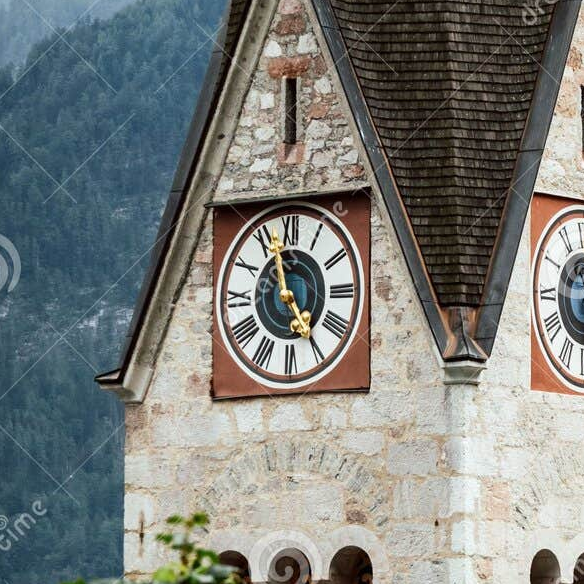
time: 11:24
